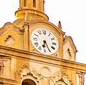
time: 6:25
